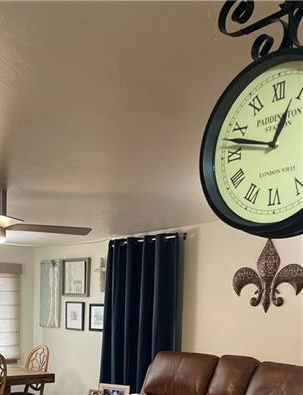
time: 12:47
